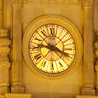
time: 9:18
